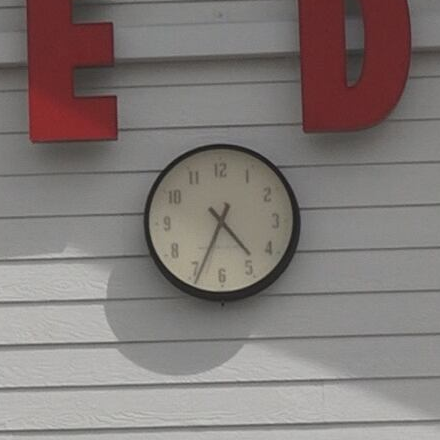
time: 4:34
